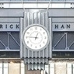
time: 12:46
